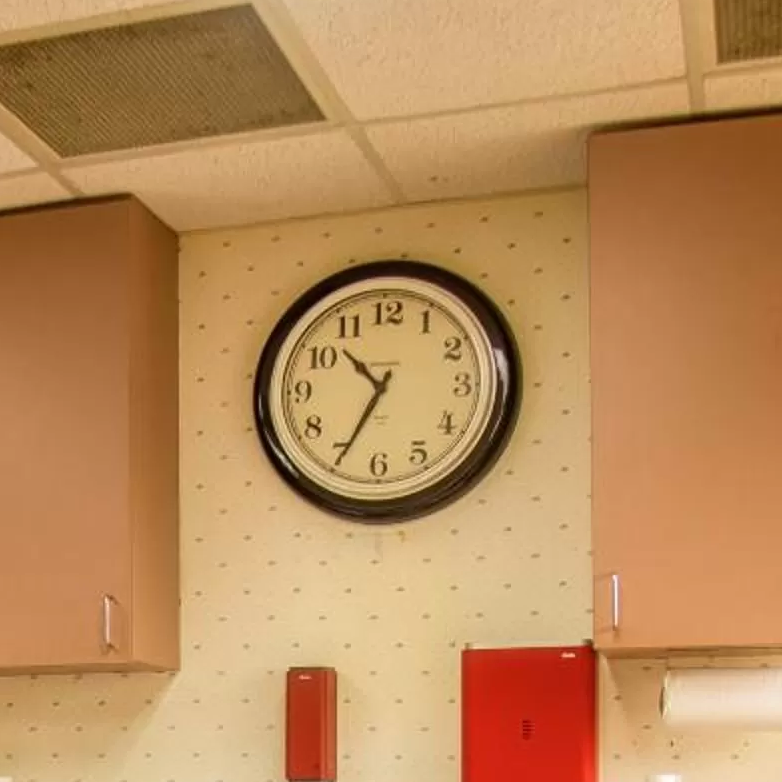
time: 10:34
